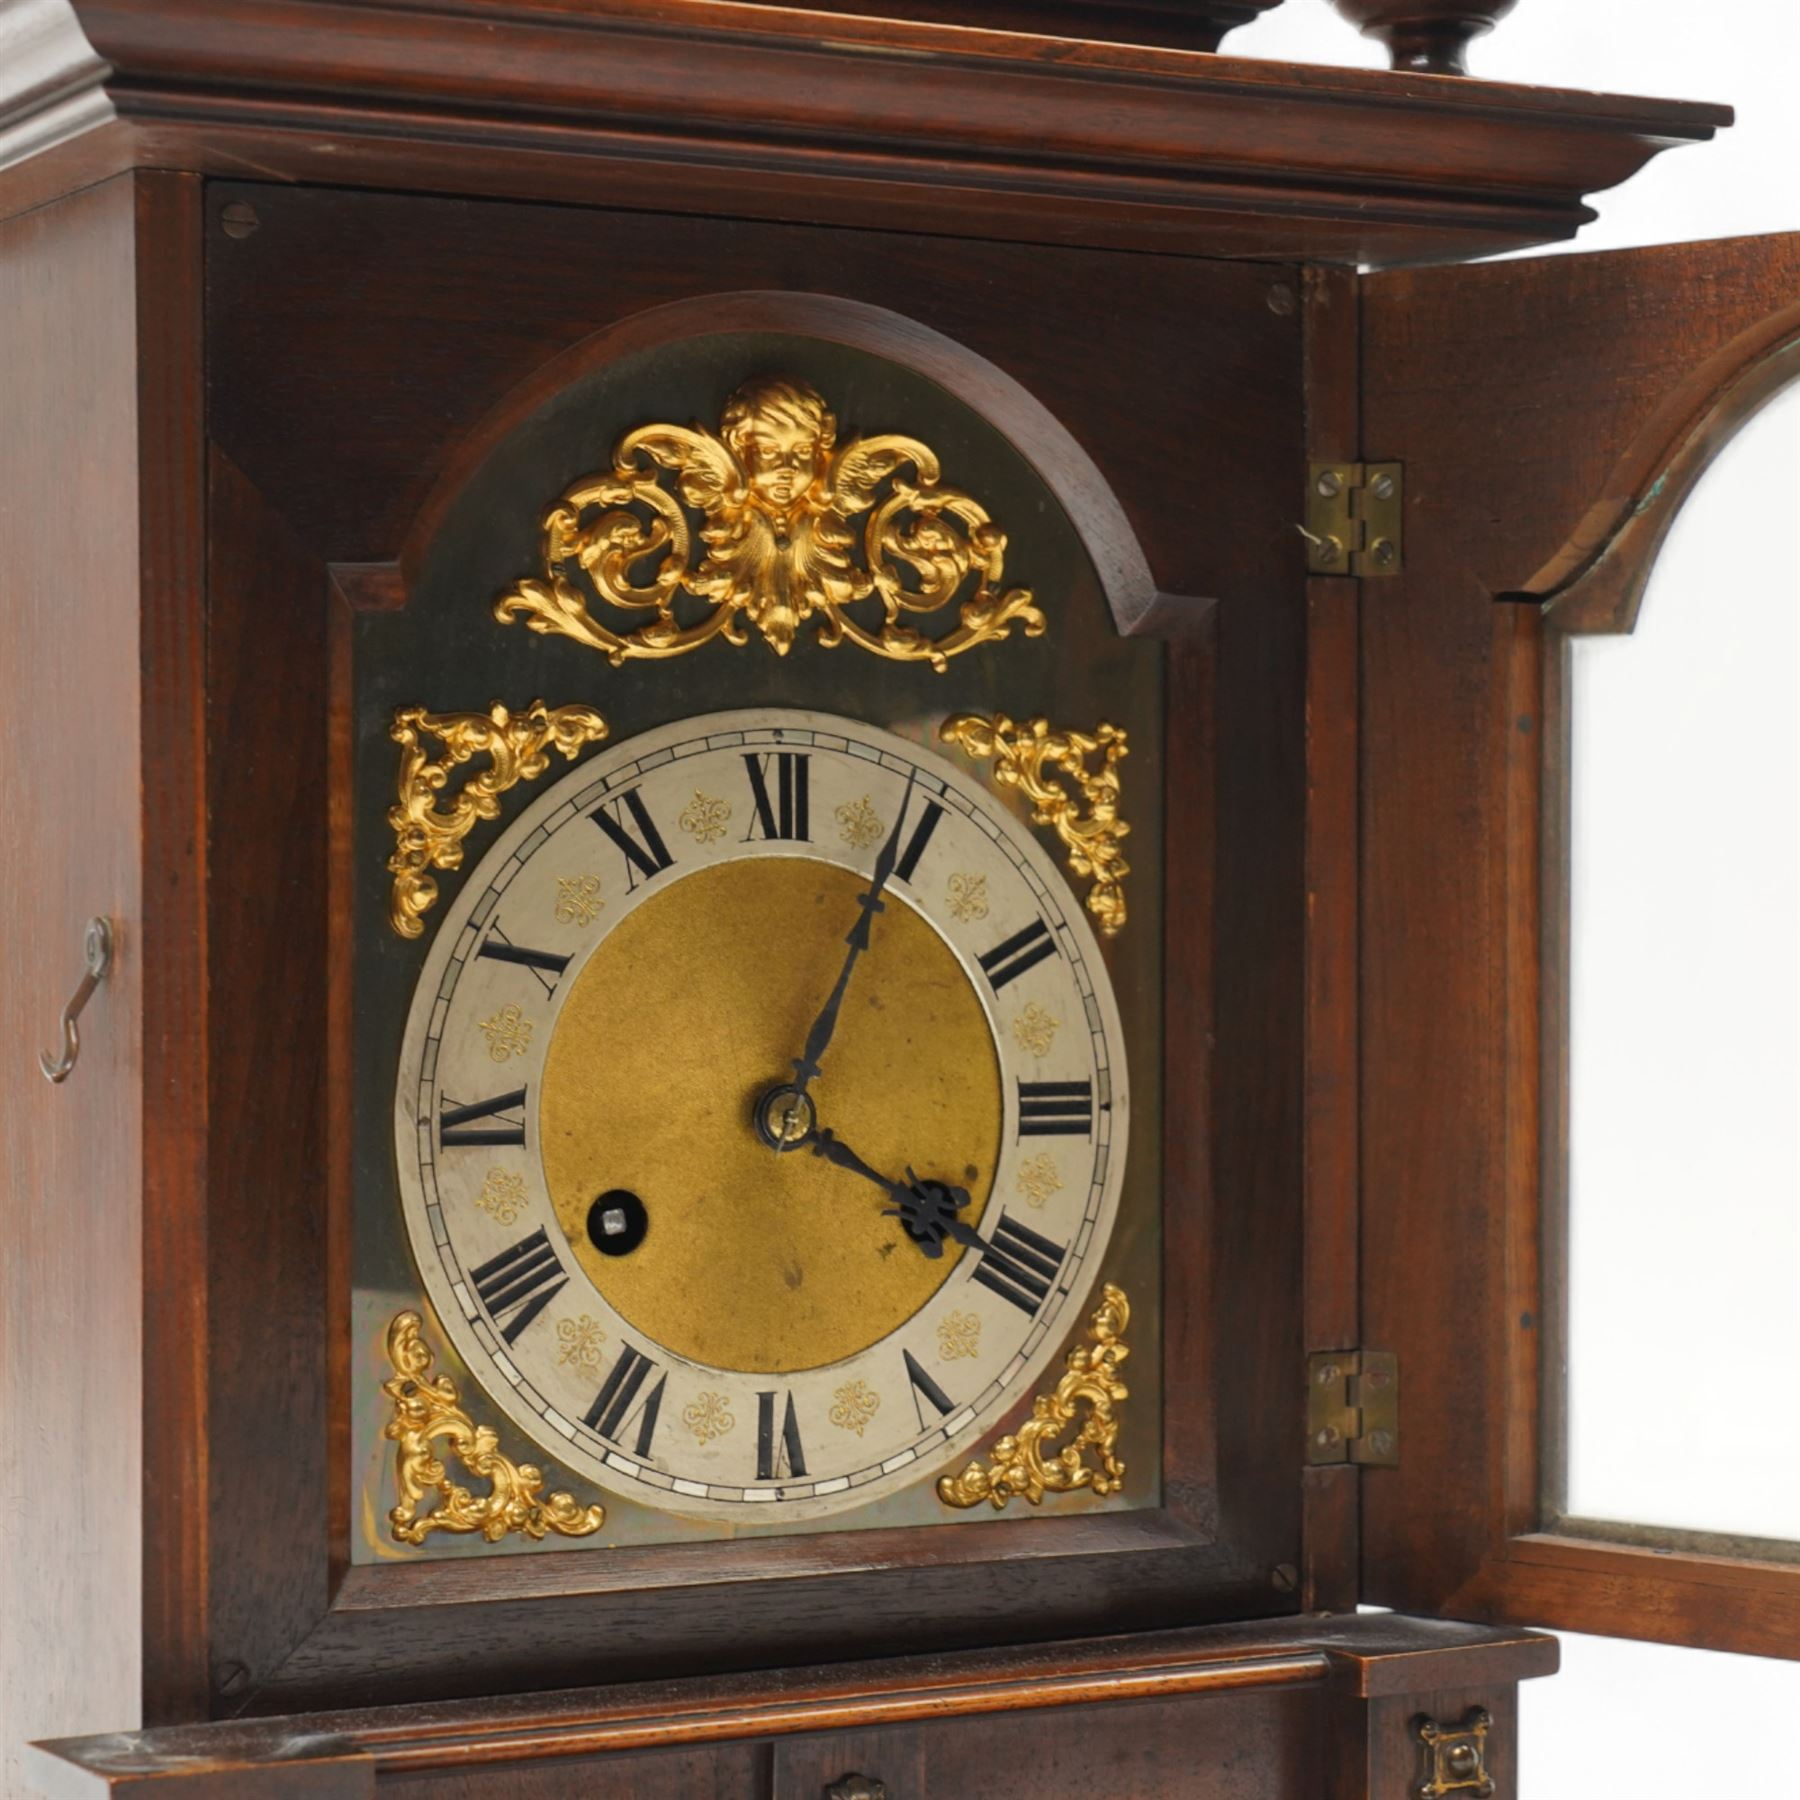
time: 4:04
